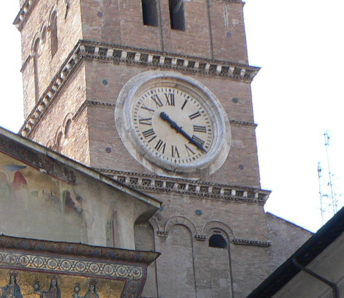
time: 4:21
